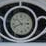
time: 10:41
